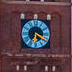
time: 6:19
